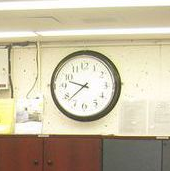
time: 9:38
